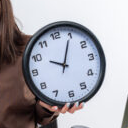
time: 10:04
